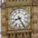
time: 8:25
